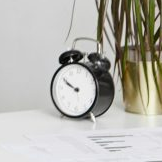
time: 9:50
